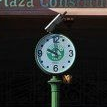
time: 10:00
